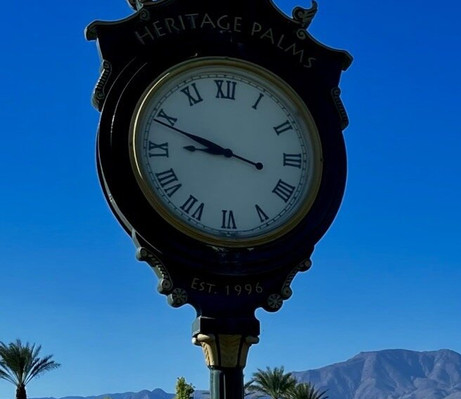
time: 8:48
